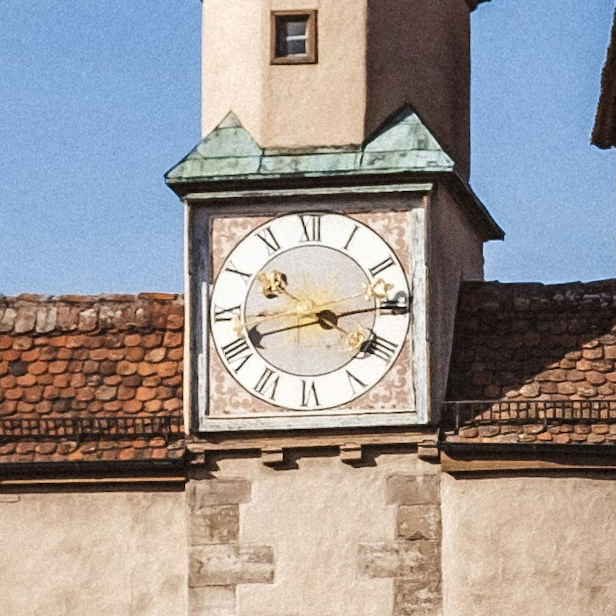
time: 8:14
